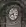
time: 8:27
